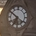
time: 6:50
